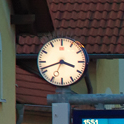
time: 3:41
